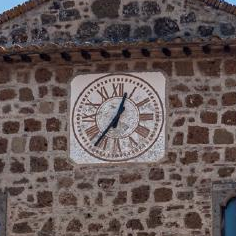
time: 12:36
